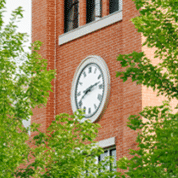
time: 8:12
